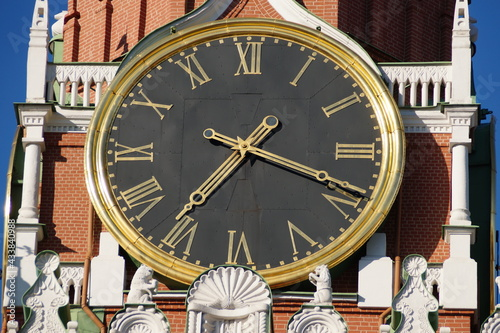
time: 7:18
